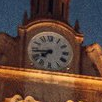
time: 7:43
